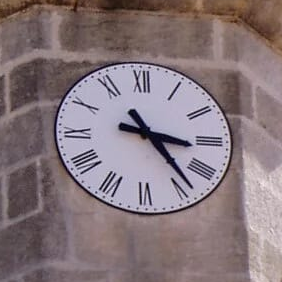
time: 3:23
